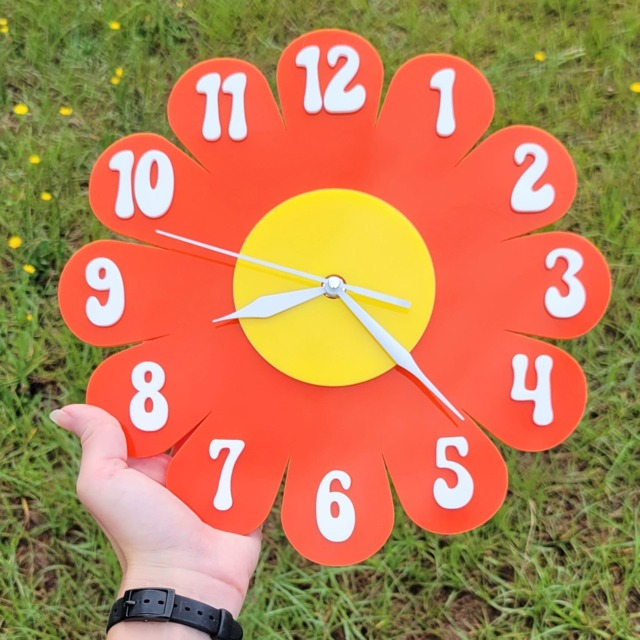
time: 8:22
